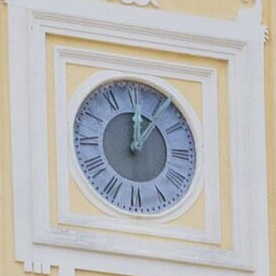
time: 12:06
